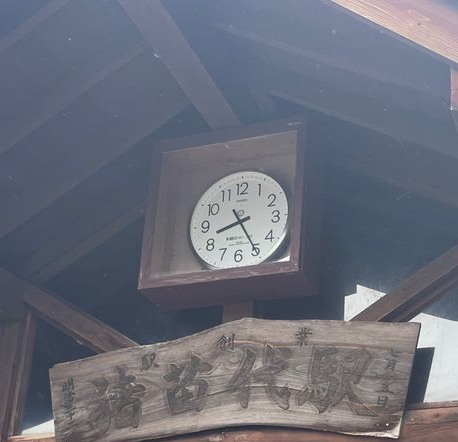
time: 8:25
